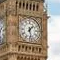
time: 1:28
